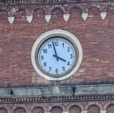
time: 3:57
